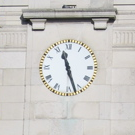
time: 11:26
